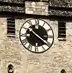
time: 10:20
